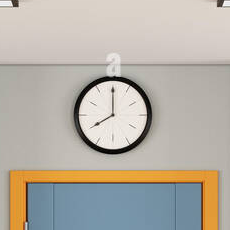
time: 7:59
